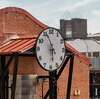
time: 5:55
